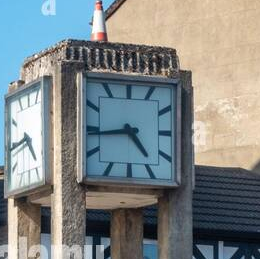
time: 4:43
